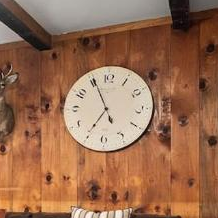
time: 6:55
